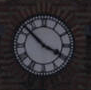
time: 3:52
